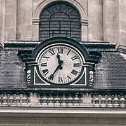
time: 11:35
